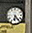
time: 6:23
